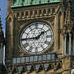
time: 1:45
